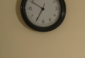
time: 12:34
